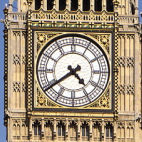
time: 4:39
